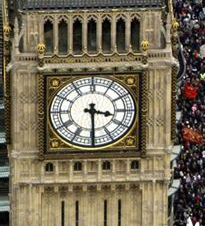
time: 3:29
